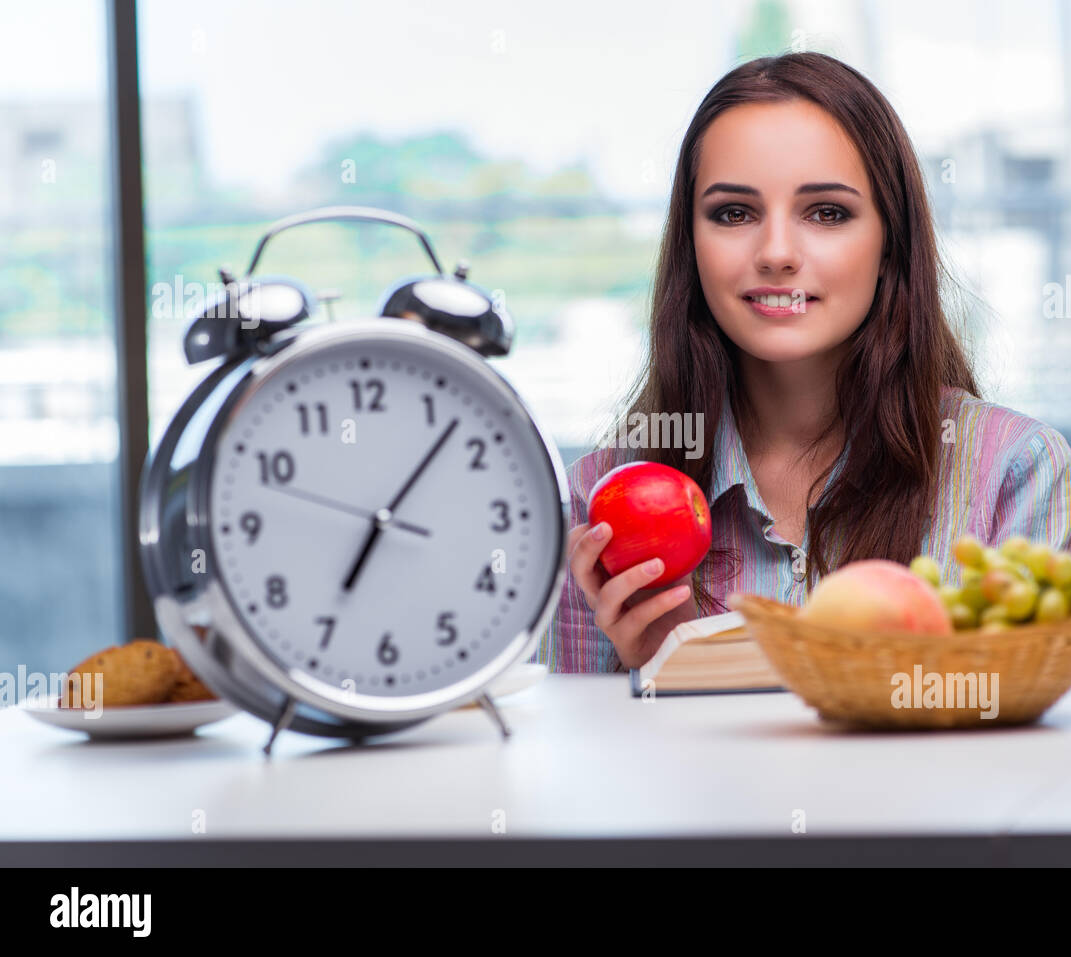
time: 7:07
